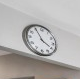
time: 3:55
